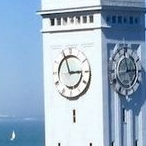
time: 2:56
